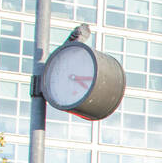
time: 3:20
